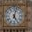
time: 5:02
